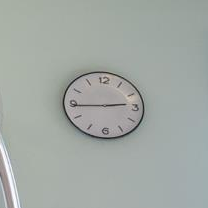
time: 2:44
